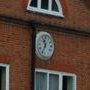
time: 10:34
